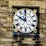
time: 10:00
